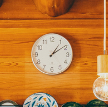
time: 1:09
